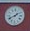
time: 1:41
